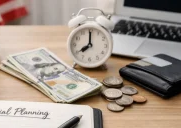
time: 8:00
